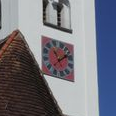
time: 11:08
